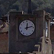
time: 12:12
